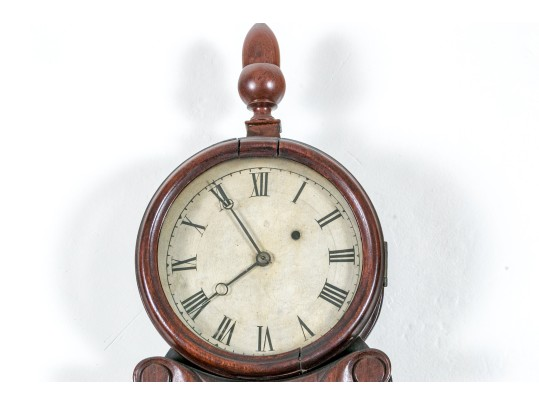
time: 7:55
